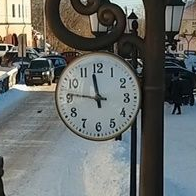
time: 11:46
